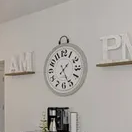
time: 1:26
